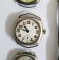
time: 10:47
